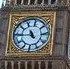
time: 10:45
